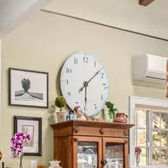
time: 6:08
